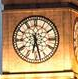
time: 6:27
